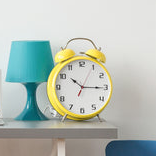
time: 10:15
